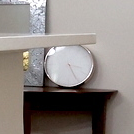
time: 3:25
